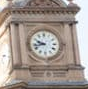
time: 9:42
